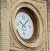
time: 10:07
